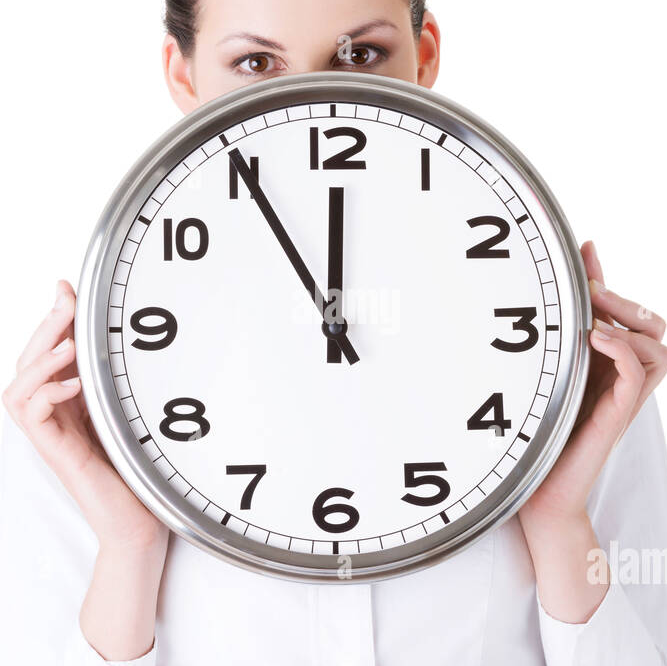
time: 11:54
